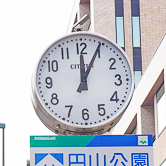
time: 12:04
